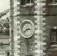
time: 2:38
